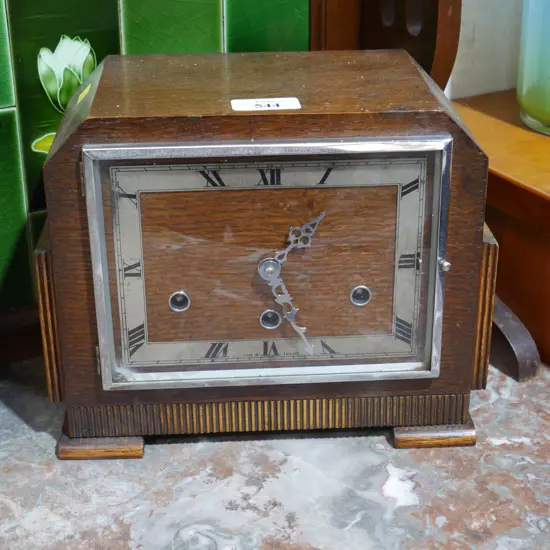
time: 1:26
